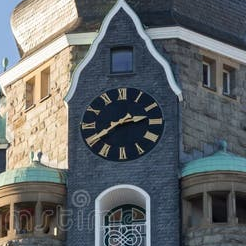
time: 2:39
